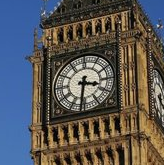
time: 3:31
